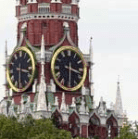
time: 3:29
